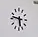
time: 5:46
